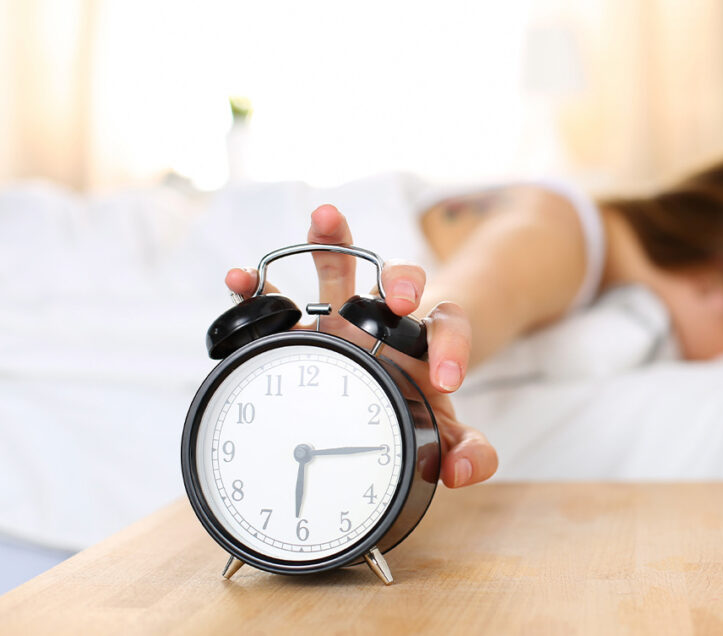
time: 6:14
